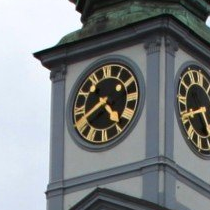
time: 4:40
